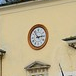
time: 2:53
